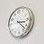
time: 3:22
